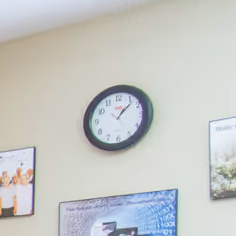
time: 1:07
